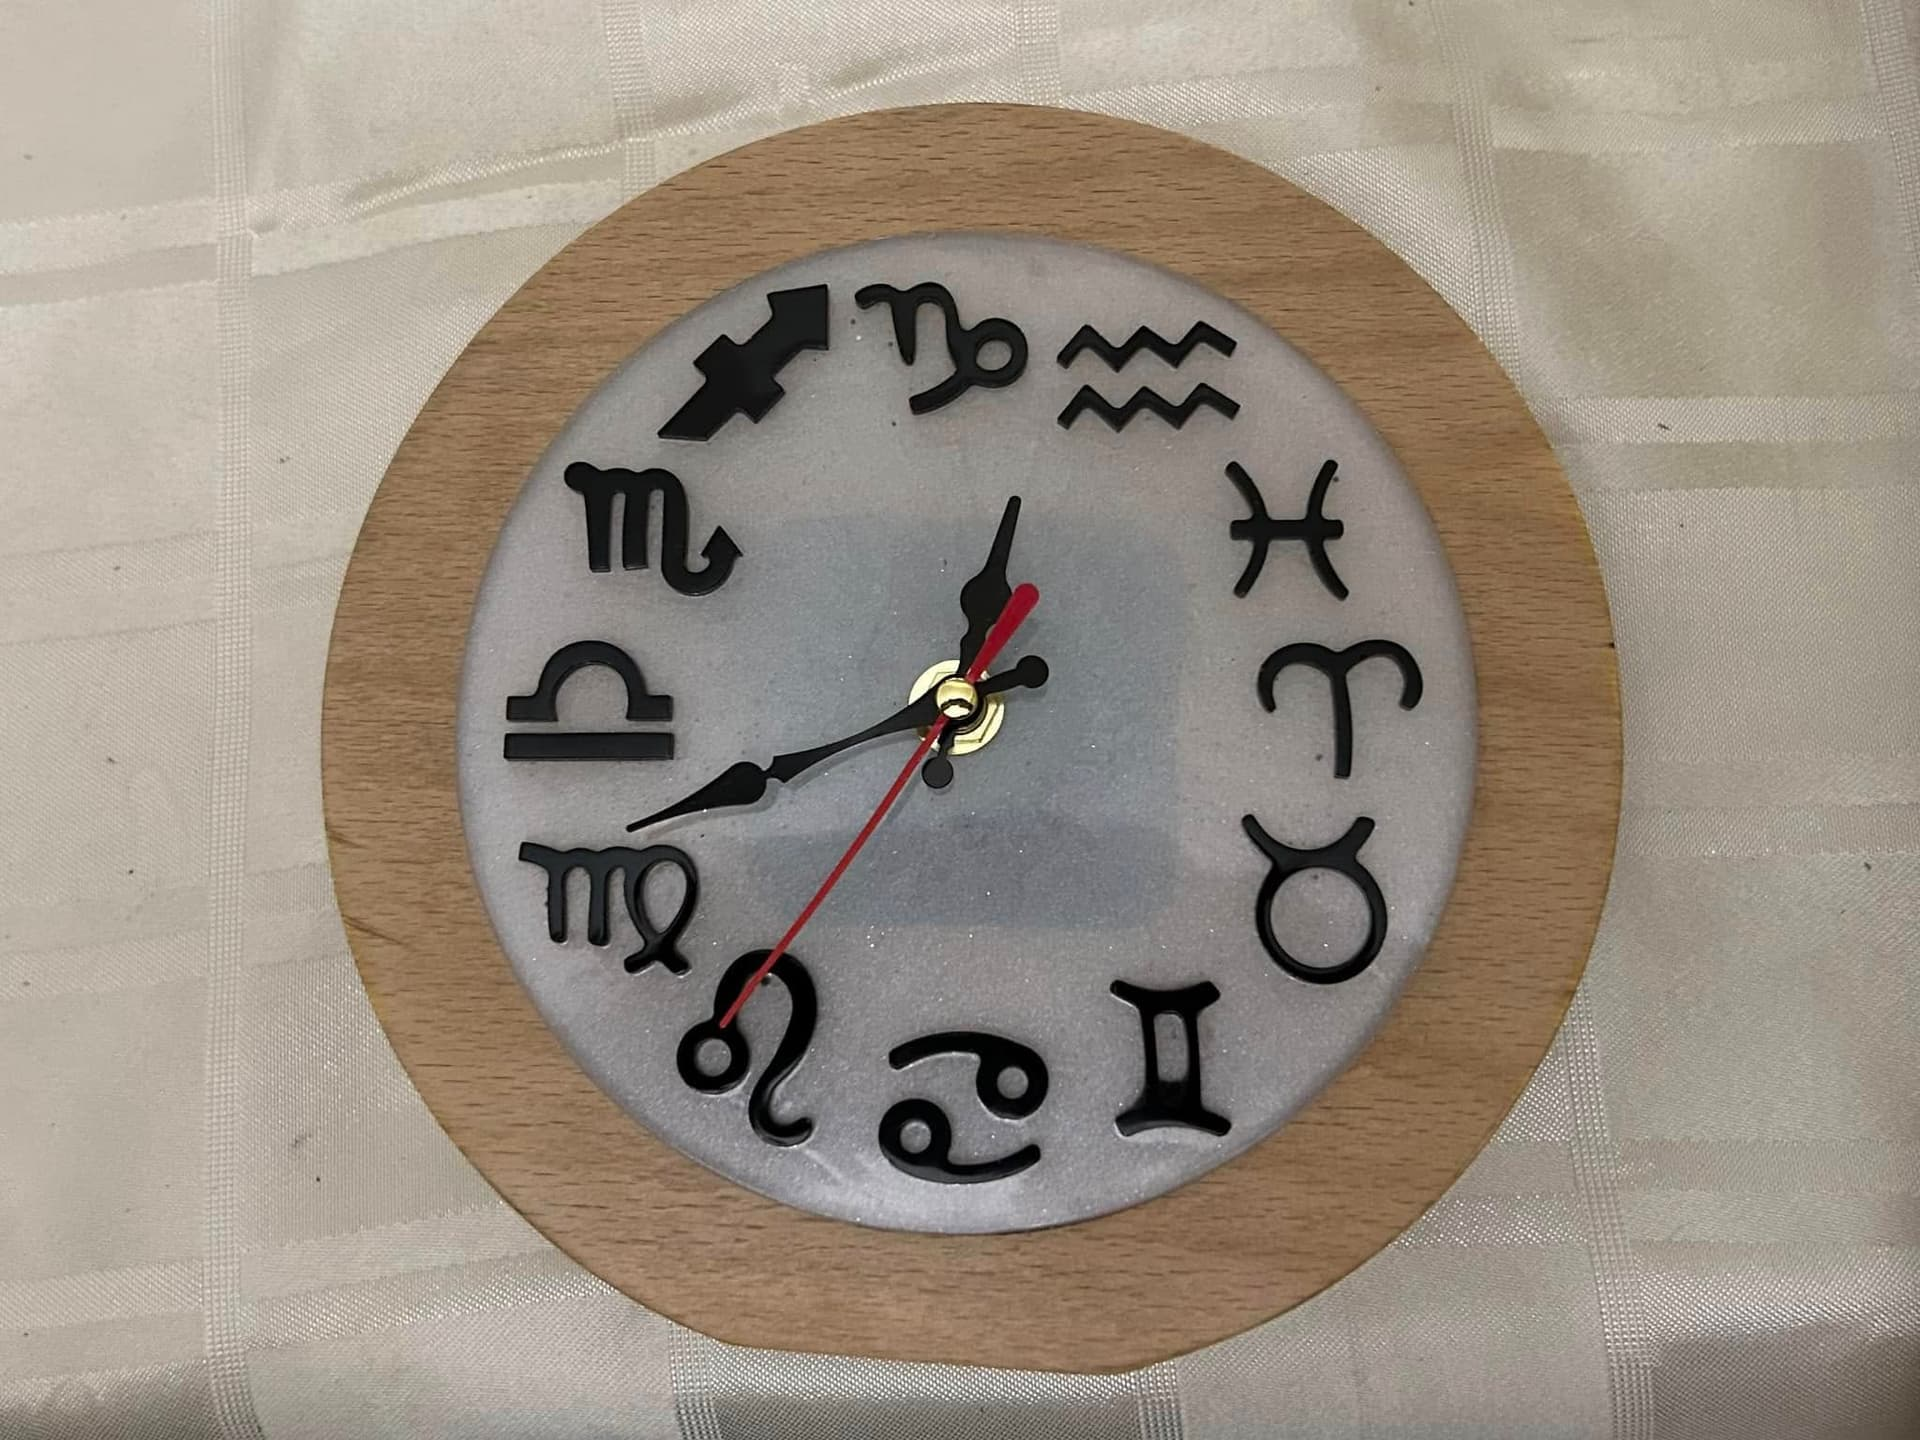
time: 11:41
